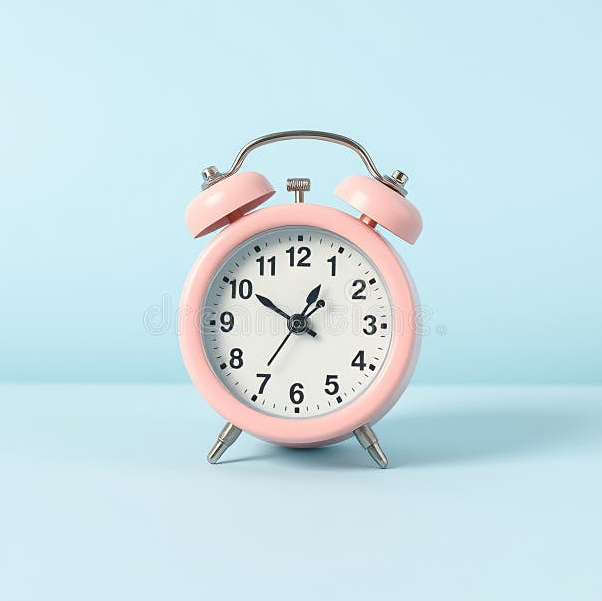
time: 12:50
